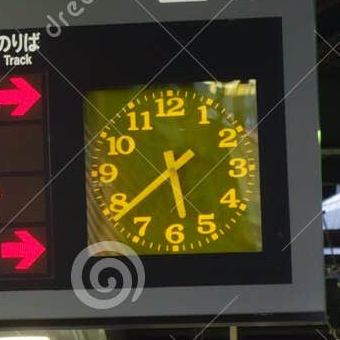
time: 5:38
